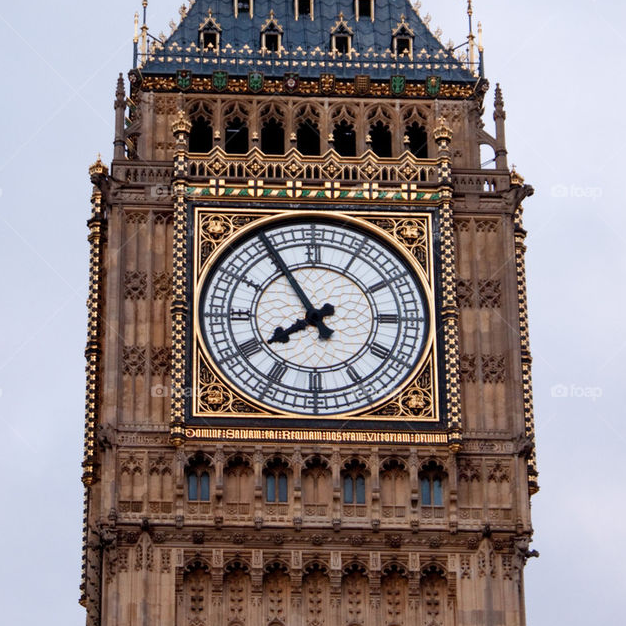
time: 7:54
